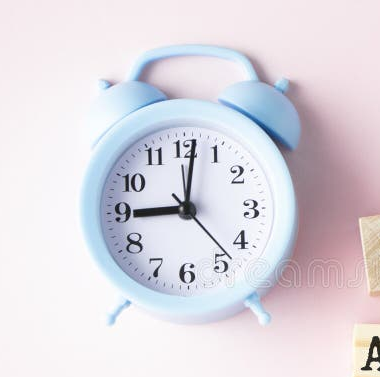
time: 9:01
